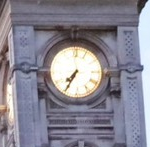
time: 7:35
